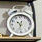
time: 10:33
